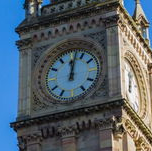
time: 12:02
